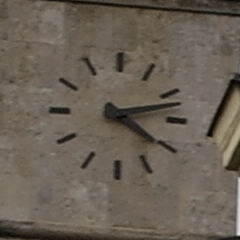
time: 4:12
